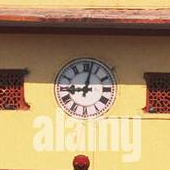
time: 9:01
